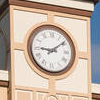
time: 9:08
